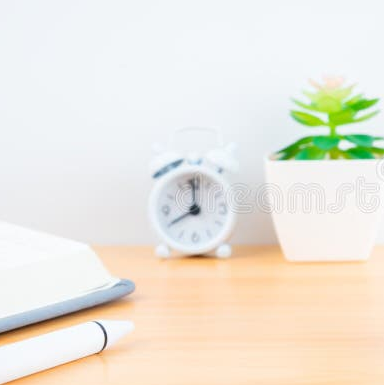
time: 7:59
